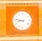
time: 8:47
